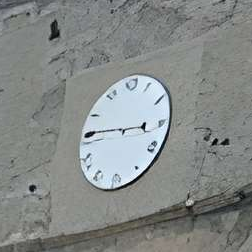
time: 2:45
